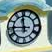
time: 11:45
